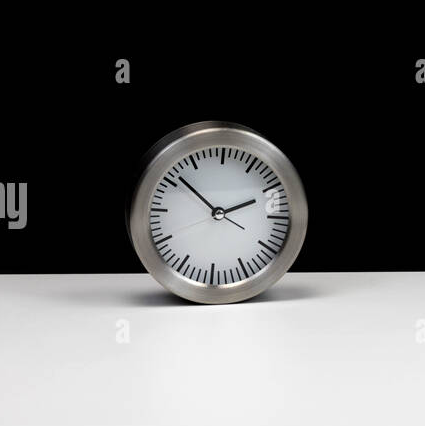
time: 1:51
